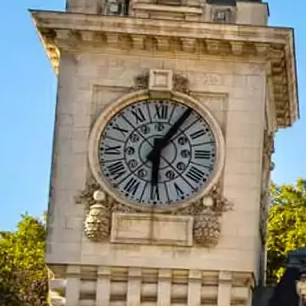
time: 6:05
